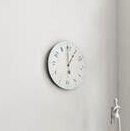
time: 12:59
